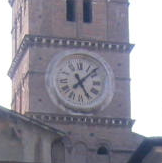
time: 5:07
